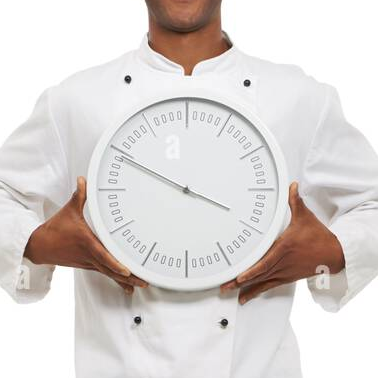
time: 3:49
